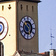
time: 5:51
